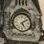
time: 5:08
